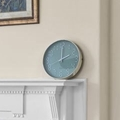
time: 2:00
